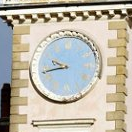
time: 9:42
